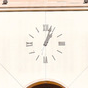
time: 1:03
